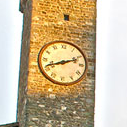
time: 8:11
